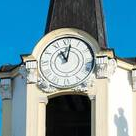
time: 11:01
